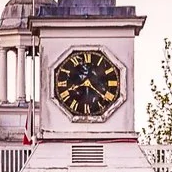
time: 8:21
